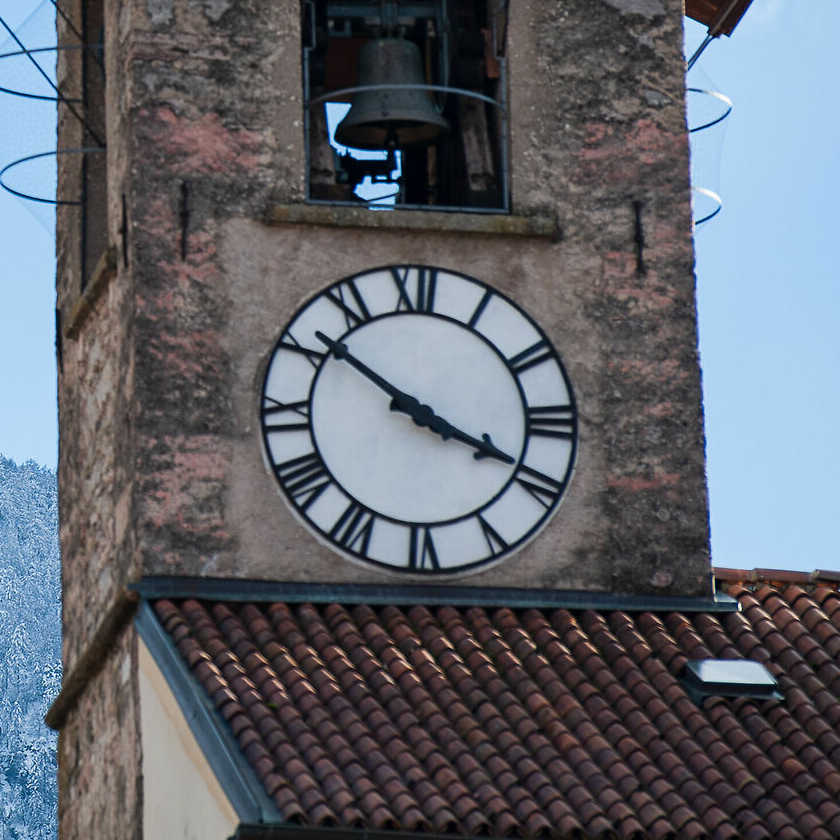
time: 3:51
